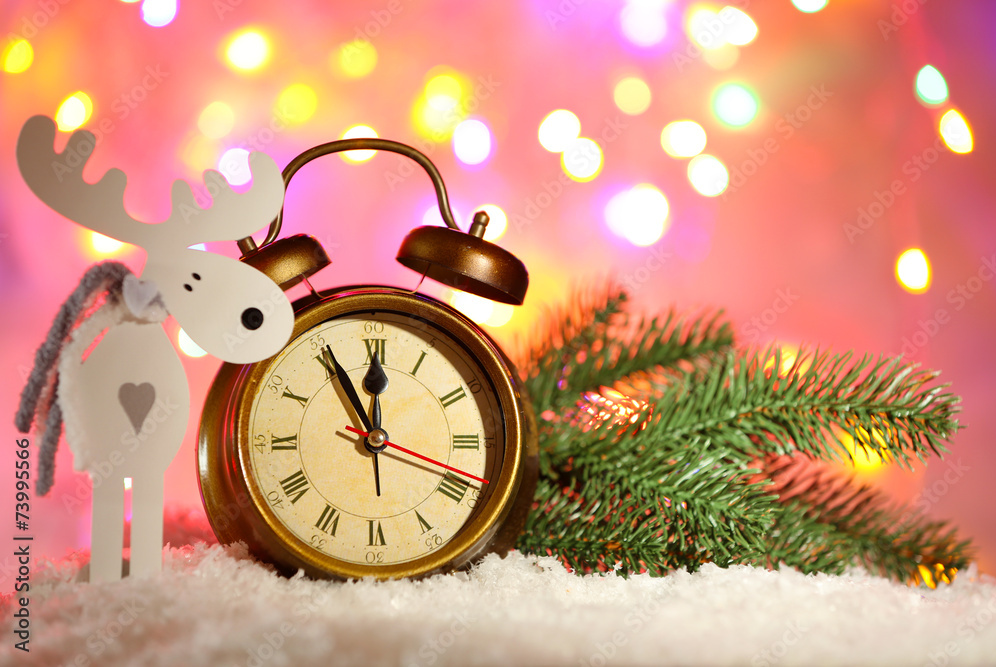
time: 11:00
